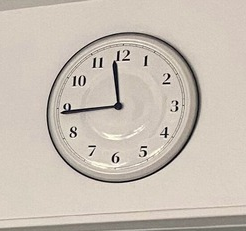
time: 11:44
